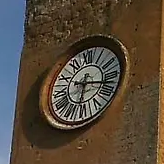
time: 6:17
